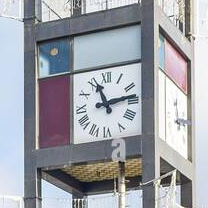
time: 11:13
